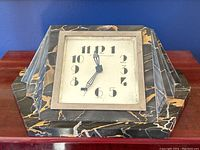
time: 11:34
